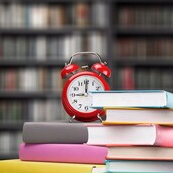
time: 9:01
